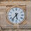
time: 5:36
